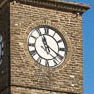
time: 11:20
